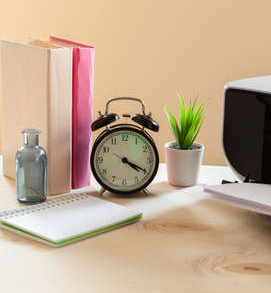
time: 4:19
